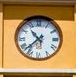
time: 10:38
